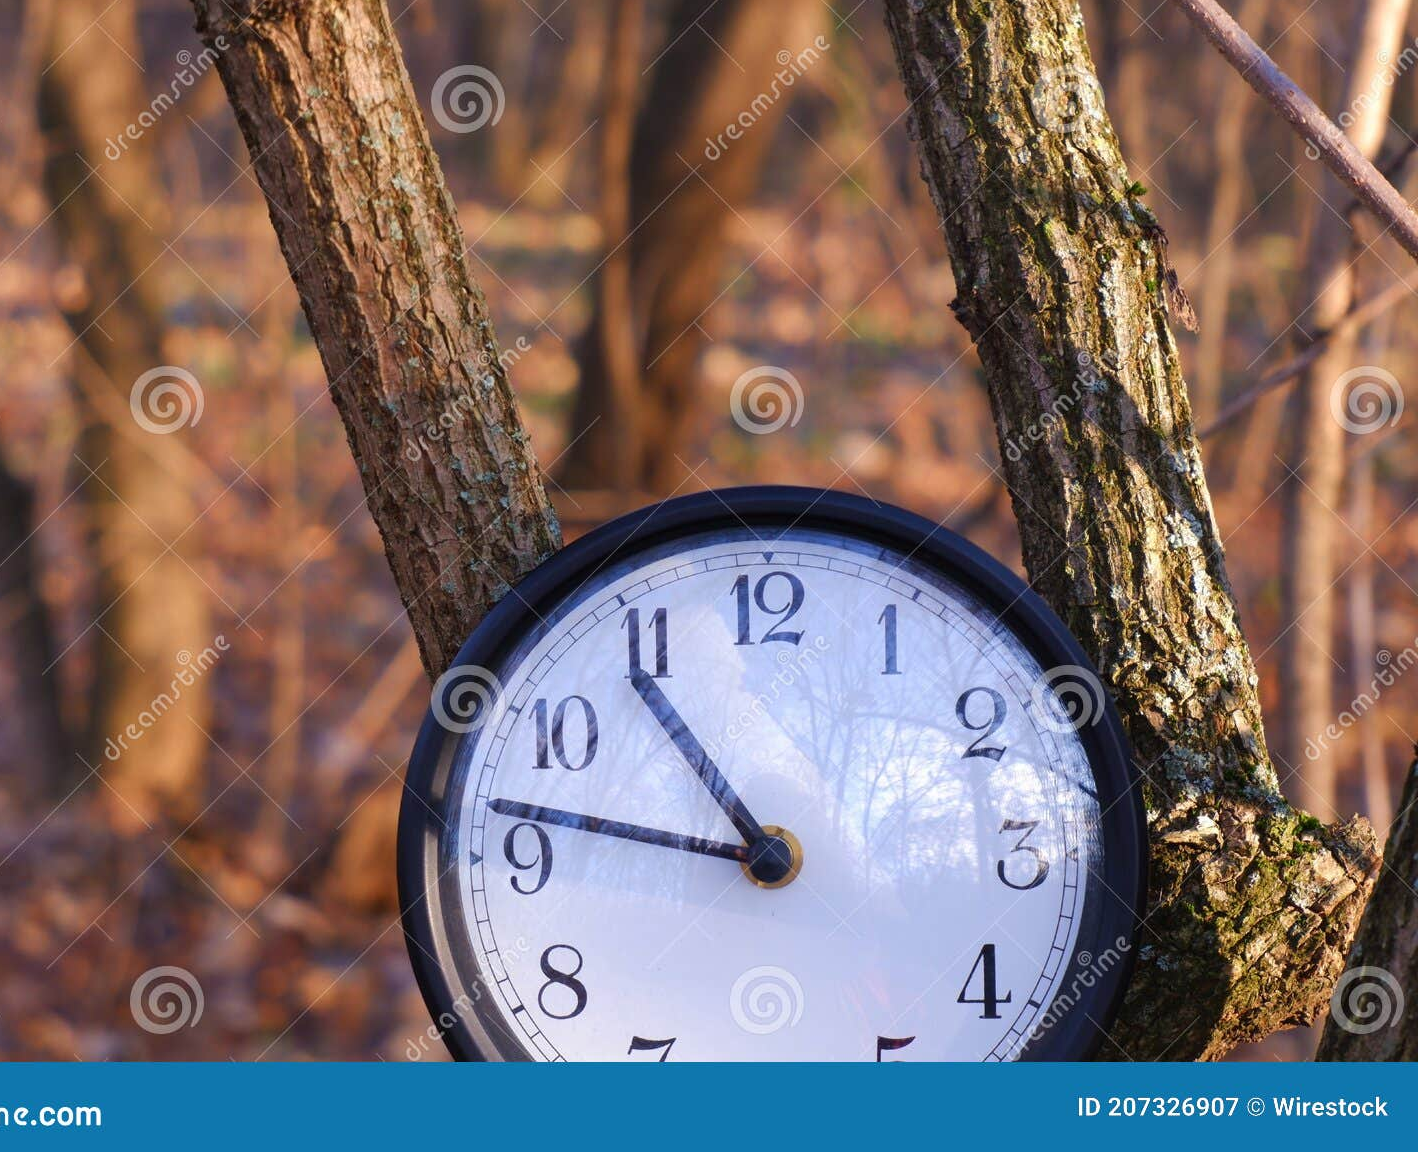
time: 10:47
